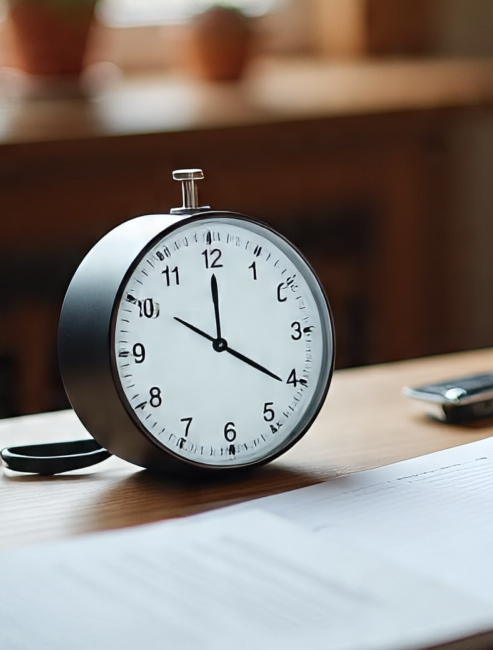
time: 10:20
